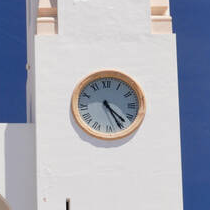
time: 4:25
